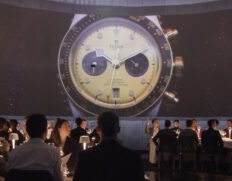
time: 2:00
